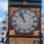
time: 10:56
